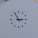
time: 2:55
